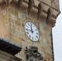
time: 11:44
